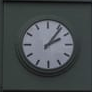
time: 2:06
